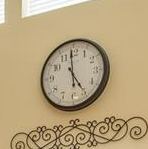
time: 4:59
